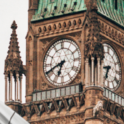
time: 6:41
